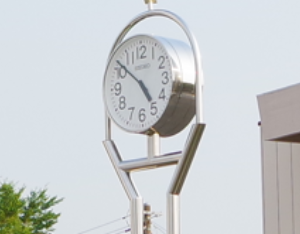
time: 4:51
